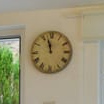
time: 11:57
